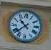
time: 10:38
